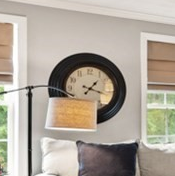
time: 1:18
